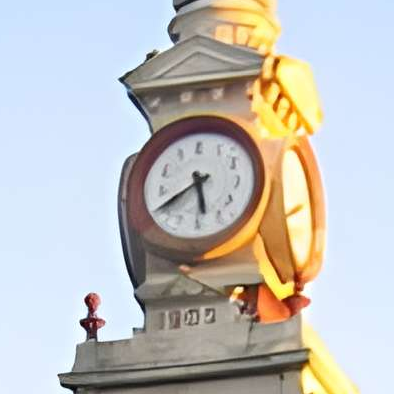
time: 5:40
